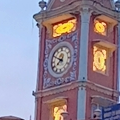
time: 7:49
